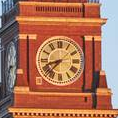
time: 8:37
